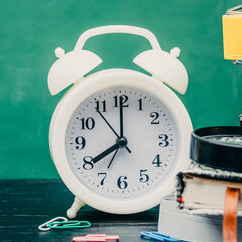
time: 8:00
